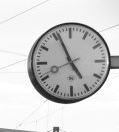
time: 4:56
